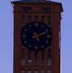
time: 5:11
